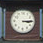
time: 3:14
